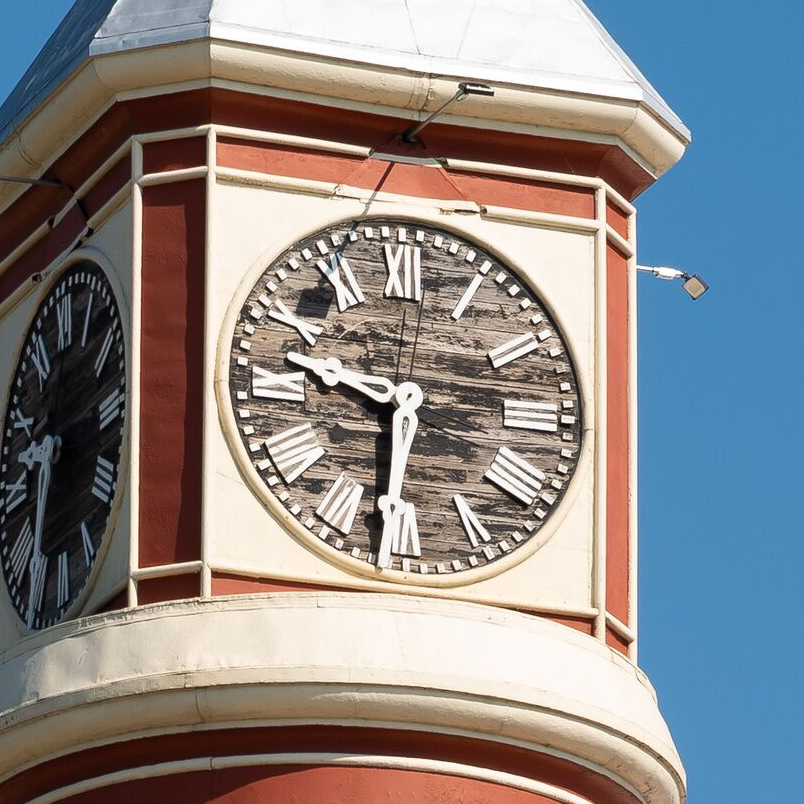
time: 9:31
